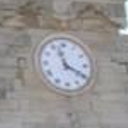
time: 11:19
